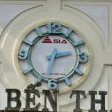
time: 2:32
